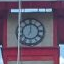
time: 7:00
